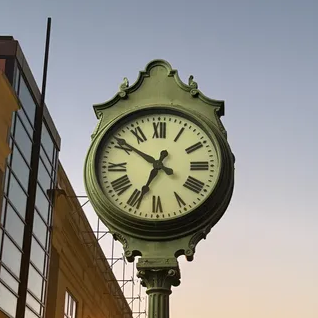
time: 6:50
